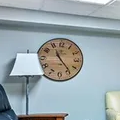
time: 11:23
